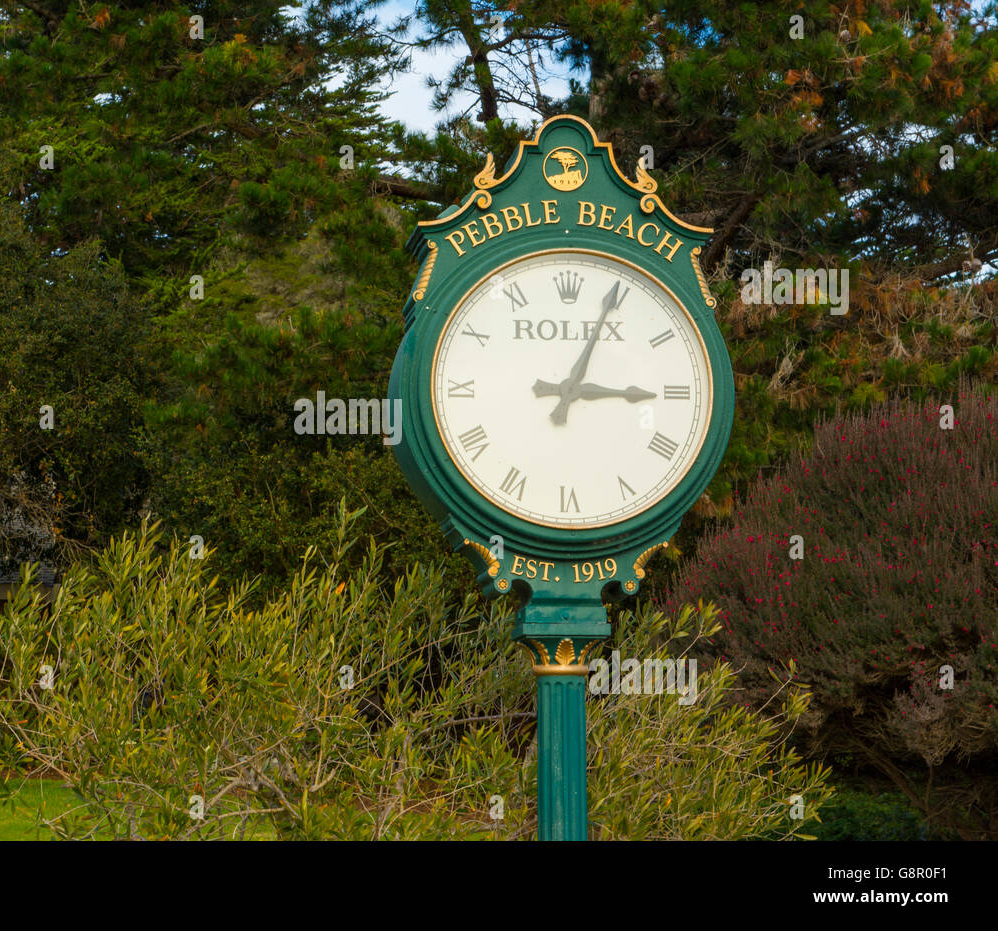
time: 3:04
